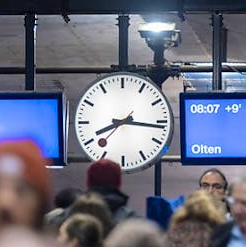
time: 8:16
